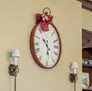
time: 10:28
